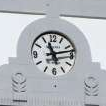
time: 11:12
